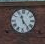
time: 11:23
